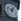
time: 12:48
